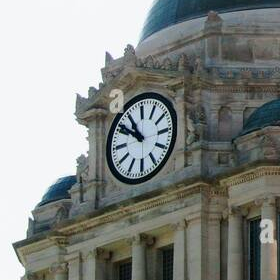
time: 10:51
